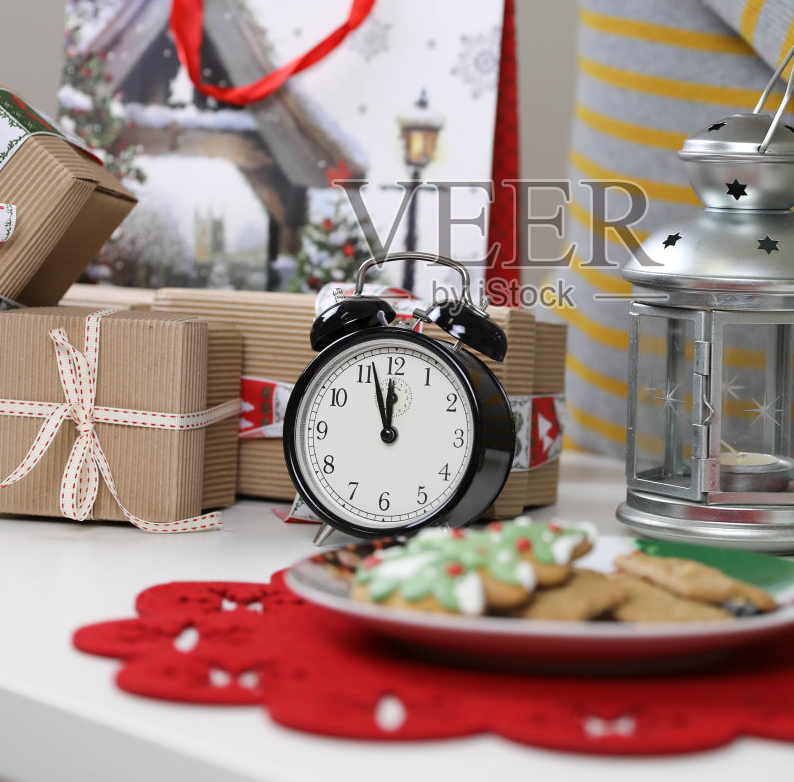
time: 11:57
